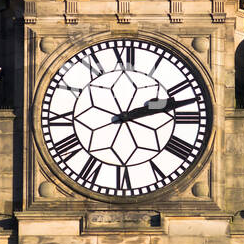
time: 2:12
